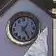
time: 1:24
